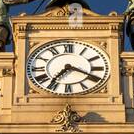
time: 7:19
